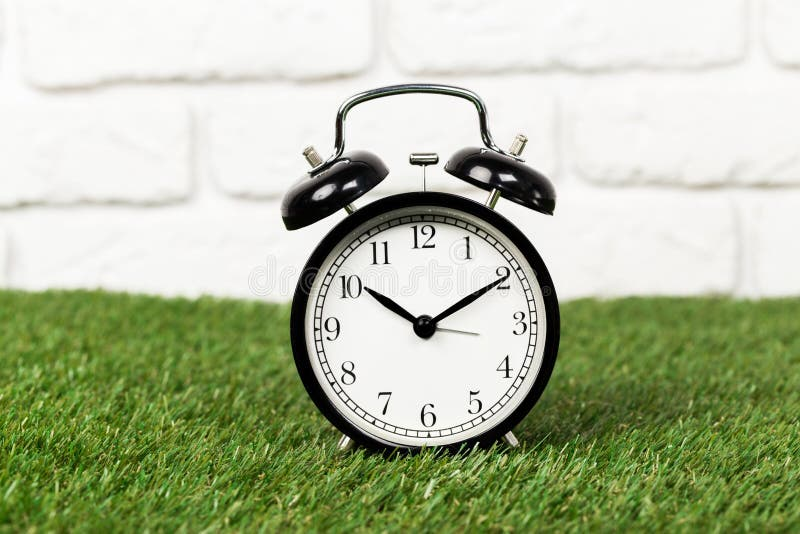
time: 10:10
